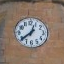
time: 12:38
